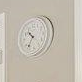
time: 10:34
